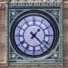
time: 1:22
